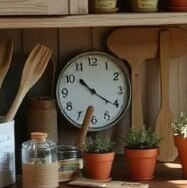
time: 10:20
